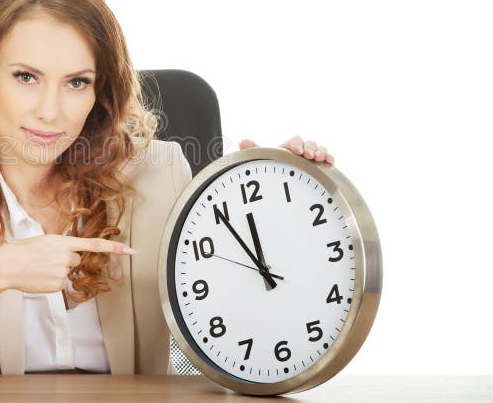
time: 11:54
